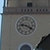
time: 9:19
